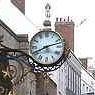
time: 8:12
